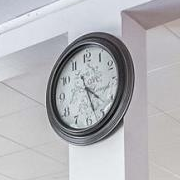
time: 4:27
